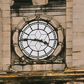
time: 3:45
